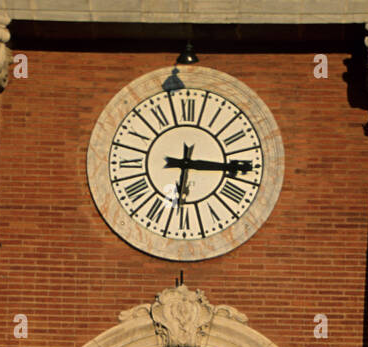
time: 6:15
